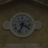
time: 3:33
